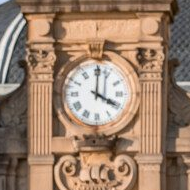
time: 4:00
